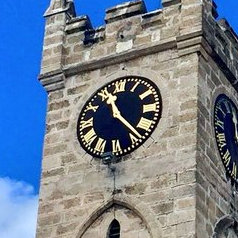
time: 11:23
